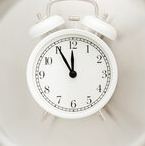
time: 11:55
